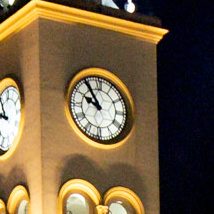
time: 9:54
